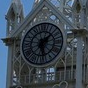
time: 1:28
